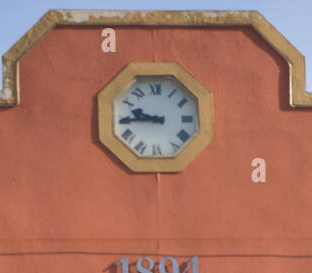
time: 9:44
